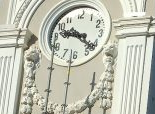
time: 9:22
